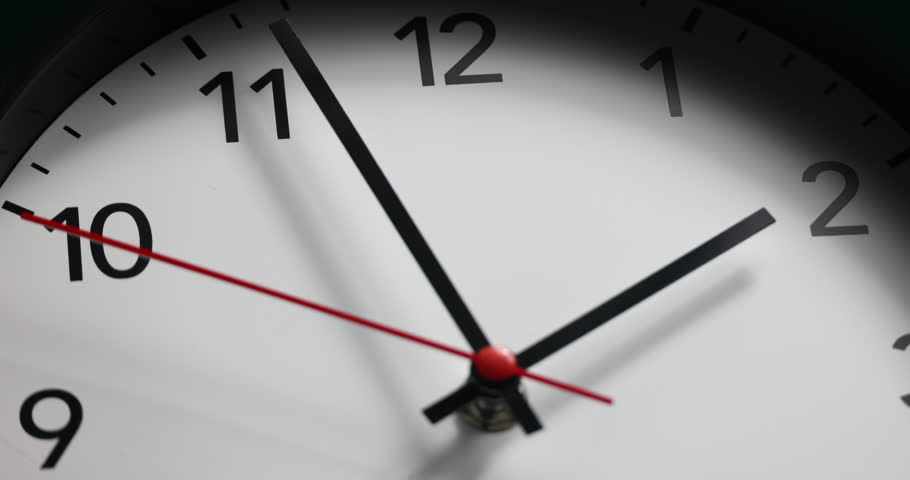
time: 1:56
